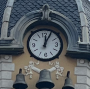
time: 12:04
